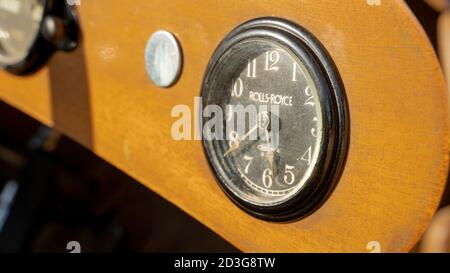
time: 5:38
